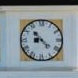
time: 8:22
